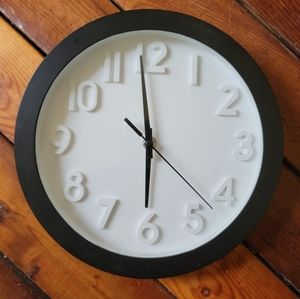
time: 5:58
